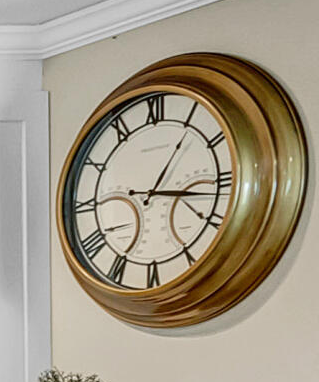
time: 3:05
